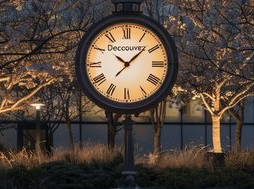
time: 10:07
